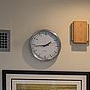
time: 1:43
